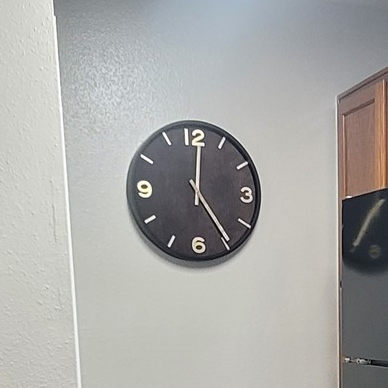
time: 12:24
